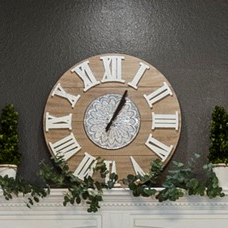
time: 1:04
